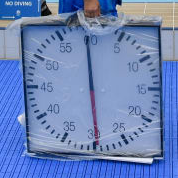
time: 5:59
